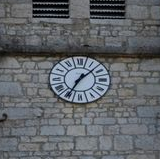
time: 1:34
